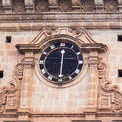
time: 6:00
